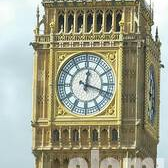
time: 12:18
